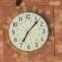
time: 7:07
